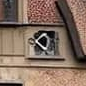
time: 12:23
